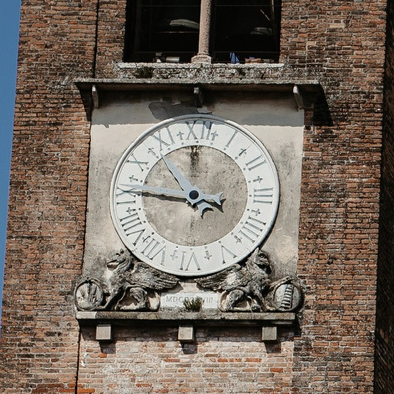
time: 3:45
